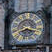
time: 8:17
